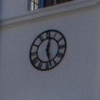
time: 12:27
